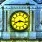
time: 8:16
